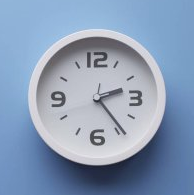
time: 2:24
